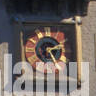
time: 2:24
